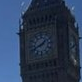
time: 1:41
